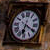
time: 6:19
